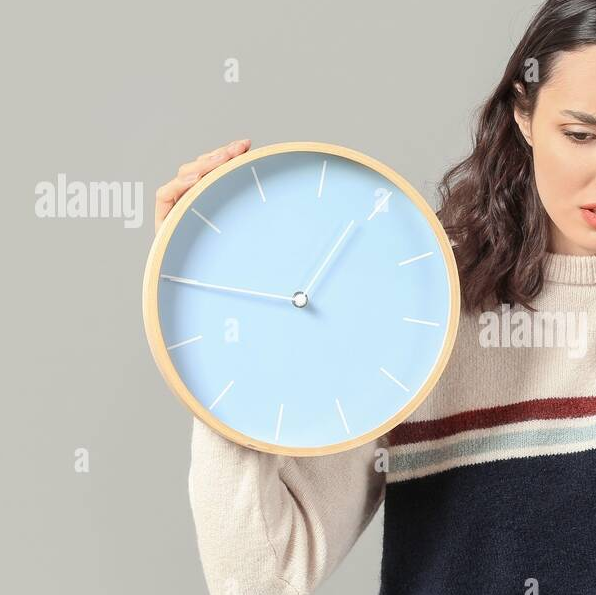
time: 12:45
